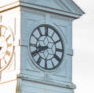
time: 8:40
